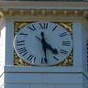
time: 4:29
